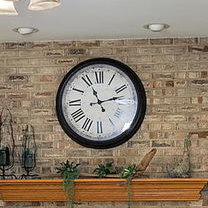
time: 11:12
